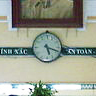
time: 5:18
